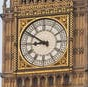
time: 8:50
